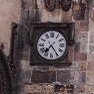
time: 7:24
